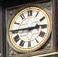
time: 2:45
